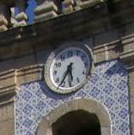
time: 5:35
